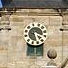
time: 5:18
